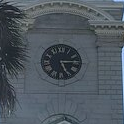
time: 5:14
